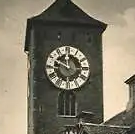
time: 11:49
